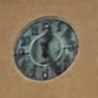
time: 12:24
